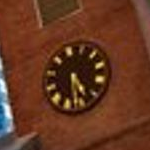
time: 4:28
